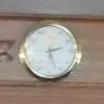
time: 2:27
